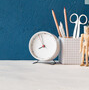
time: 7:57
